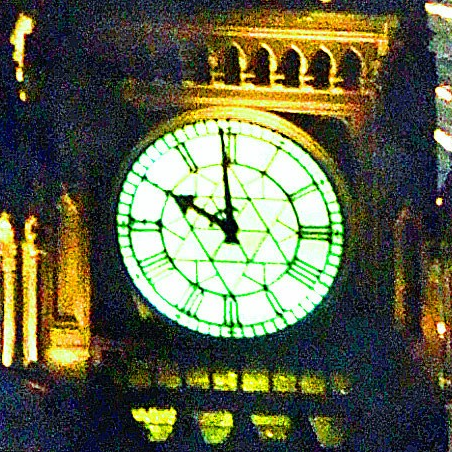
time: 9:59
